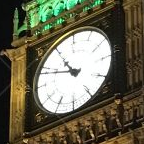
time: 10:48
